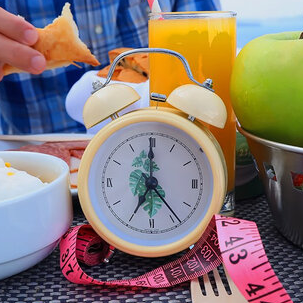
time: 7:00
